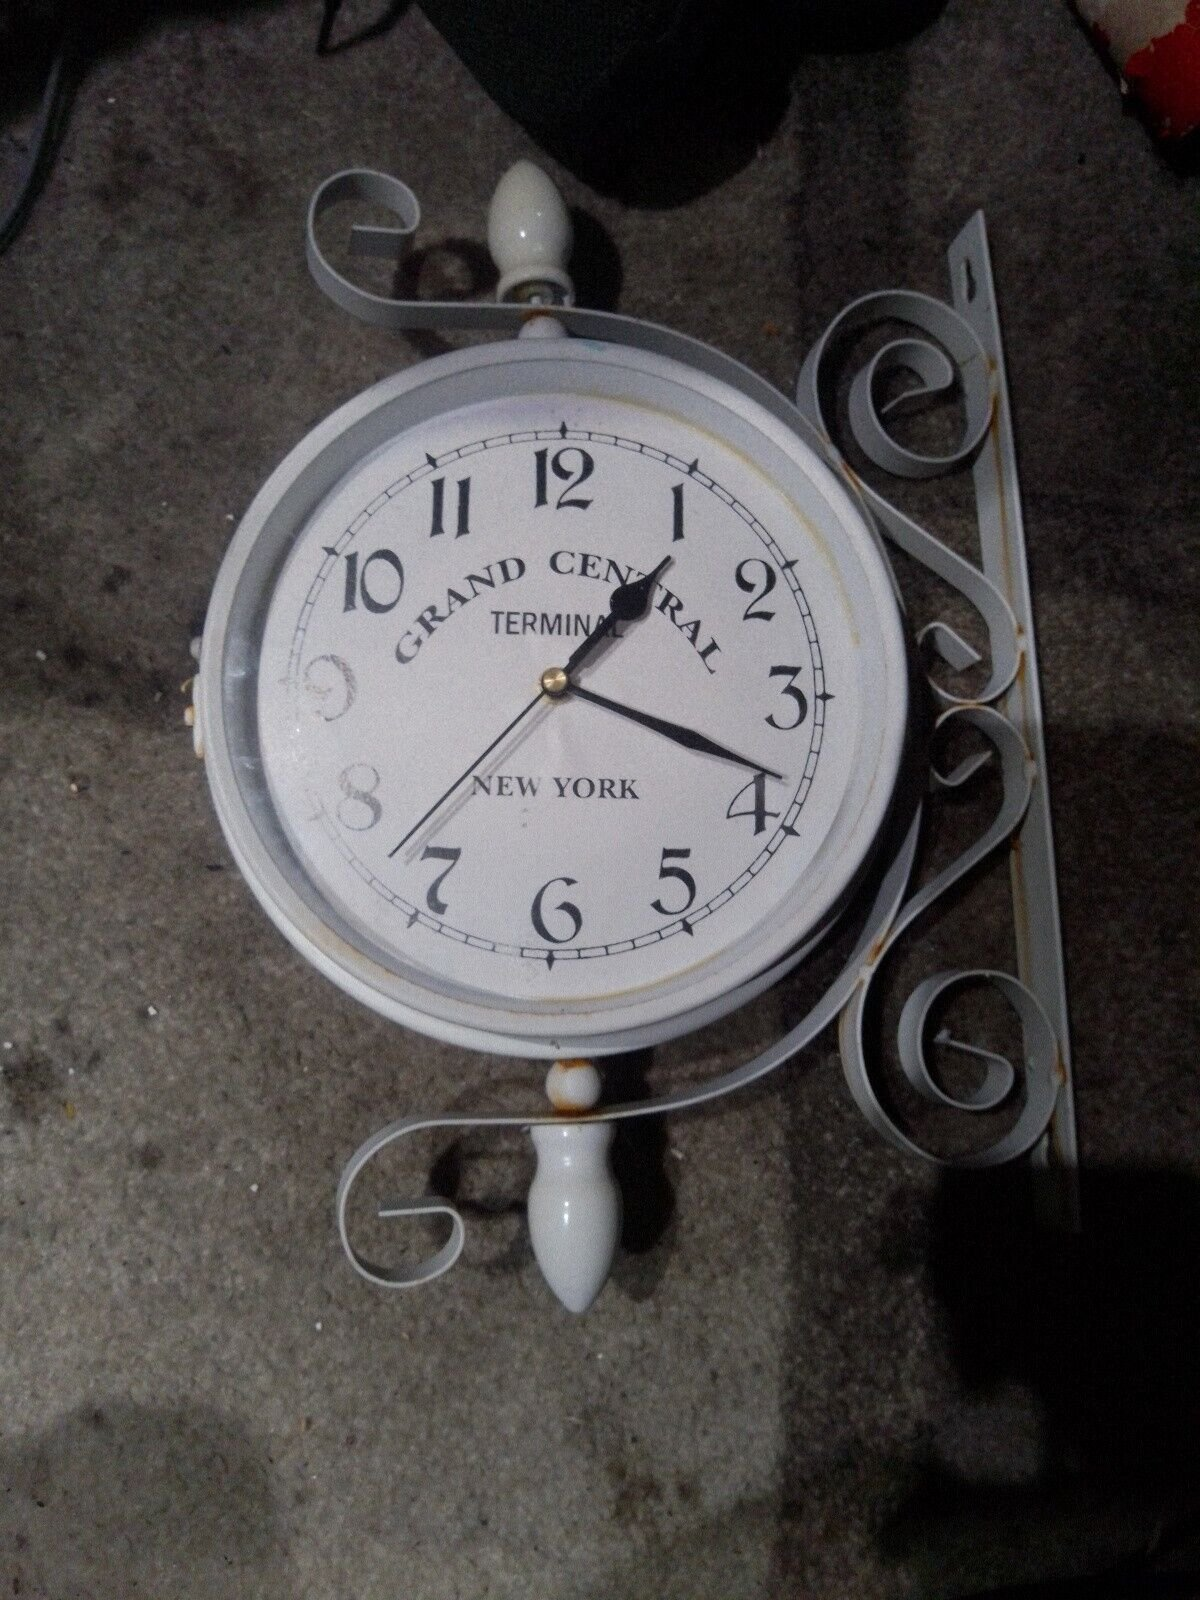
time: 1:18
